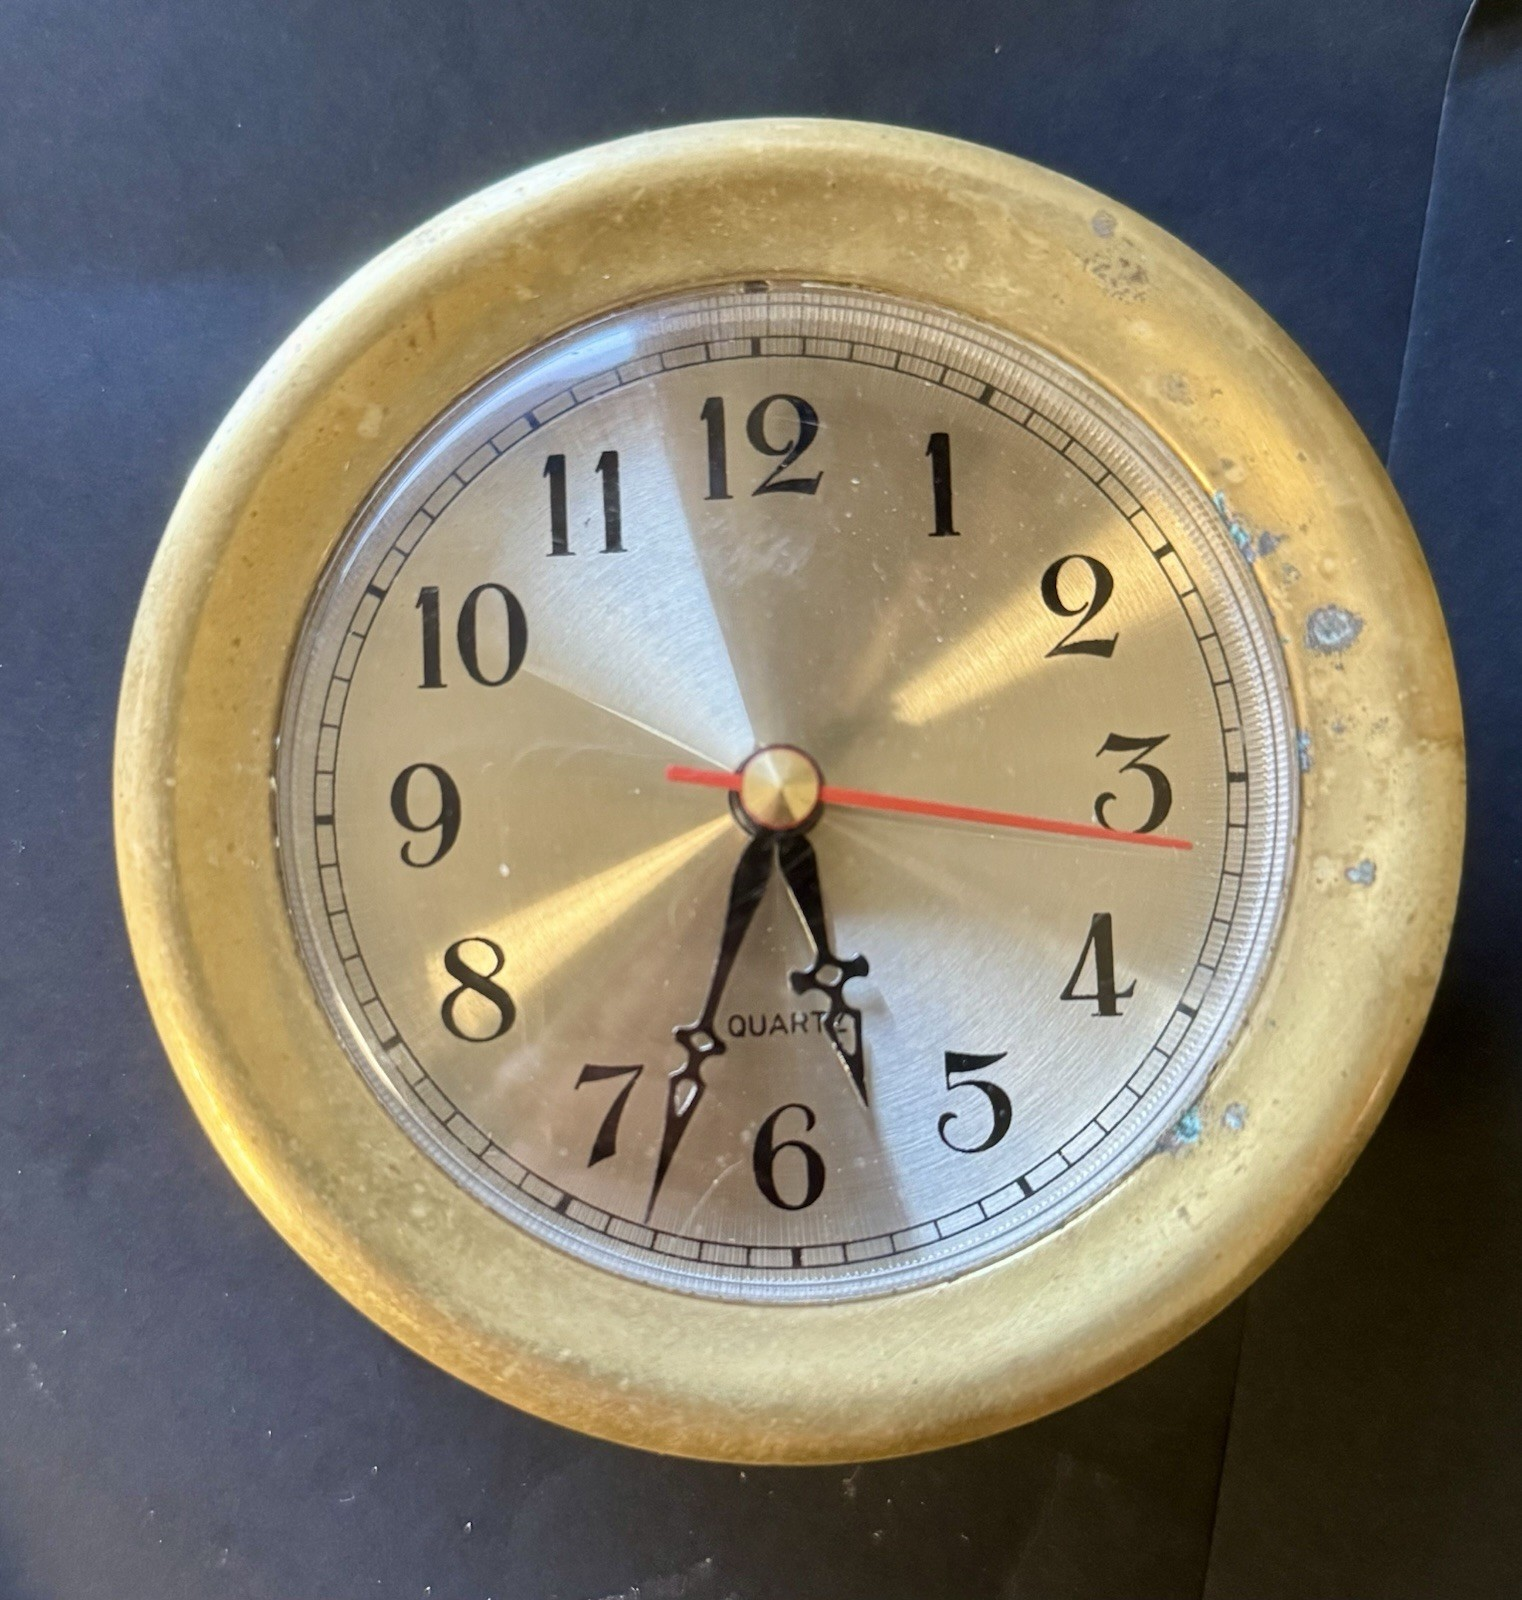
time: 5:33
